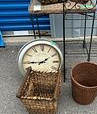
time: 1:44
